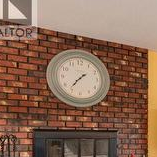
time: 1:36
